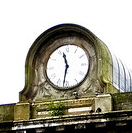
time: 11:31
